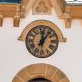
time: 12:06
